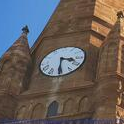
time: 3:30
